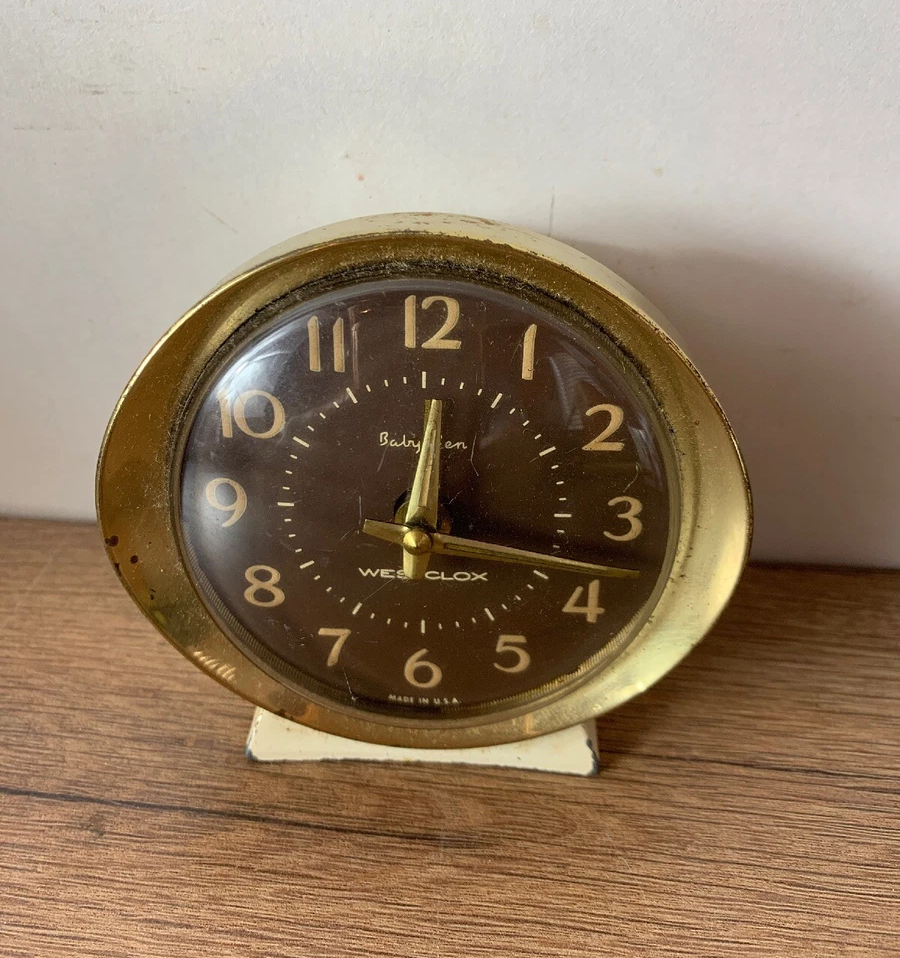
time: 12:17
